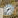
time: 2:36
